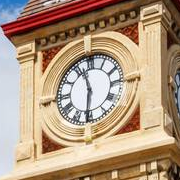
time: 11:31
